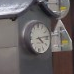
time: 4:13
